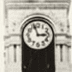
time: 2:56
